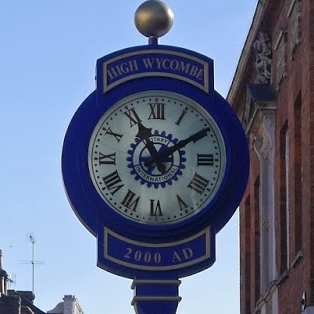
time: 11:09
